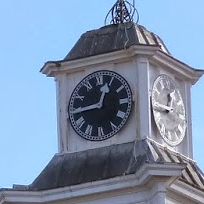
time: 12:44
